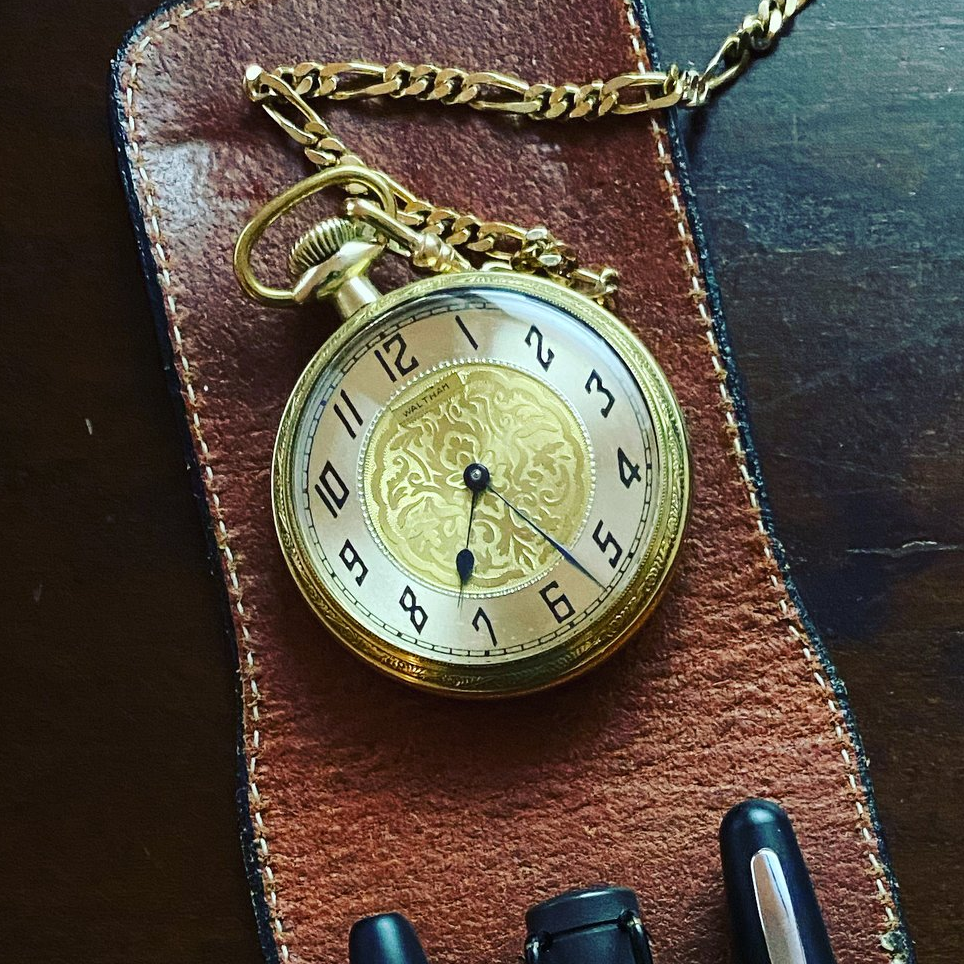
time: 6:22
